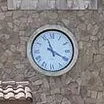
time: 11:19
